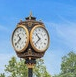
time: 10:37
